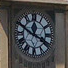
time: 3:49
